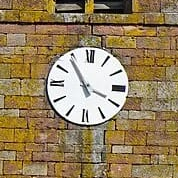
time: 3:54
